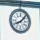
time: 8:07
